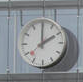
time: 2:00
